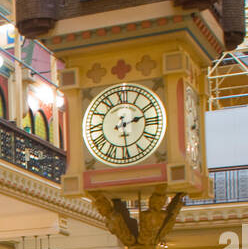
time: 2:29
